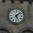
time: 5:07
